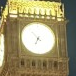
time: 6:53
